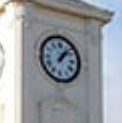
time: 1:07
